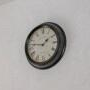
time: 1:46
